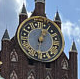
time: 1:02
